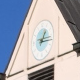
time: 1:16
